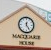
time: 12:24
